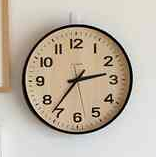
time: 2:36
